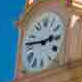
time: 2:46
